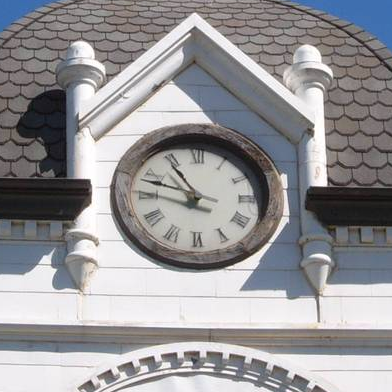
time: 10:47
